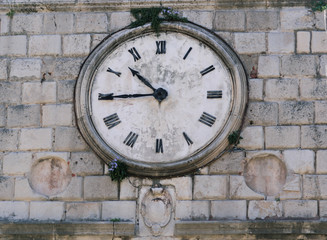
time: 10:44
